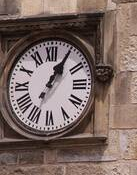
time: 1:05
